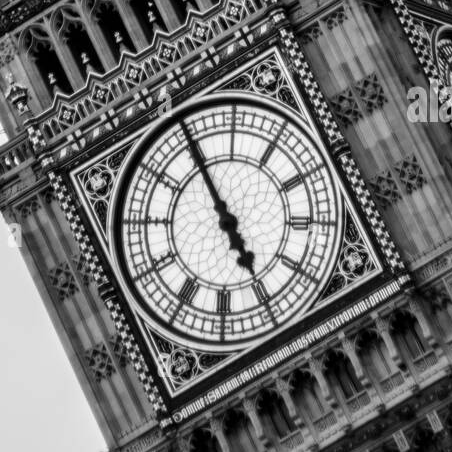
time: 4:54
